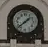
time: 1:38
